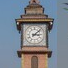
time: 3:07
